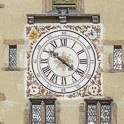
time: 10:20
